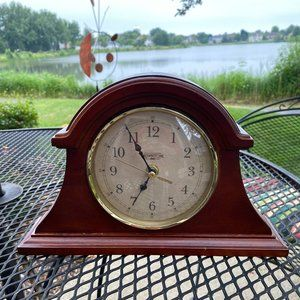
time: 6:55
